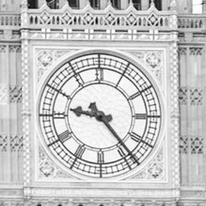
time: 9:23
